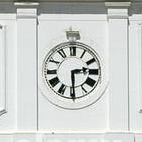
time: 2:29
